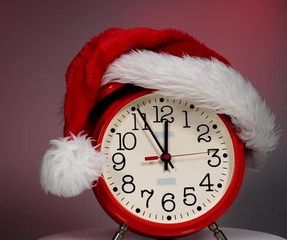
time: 11:55
